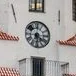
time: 6:20
